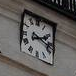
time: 2:17
